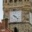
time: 4:22
